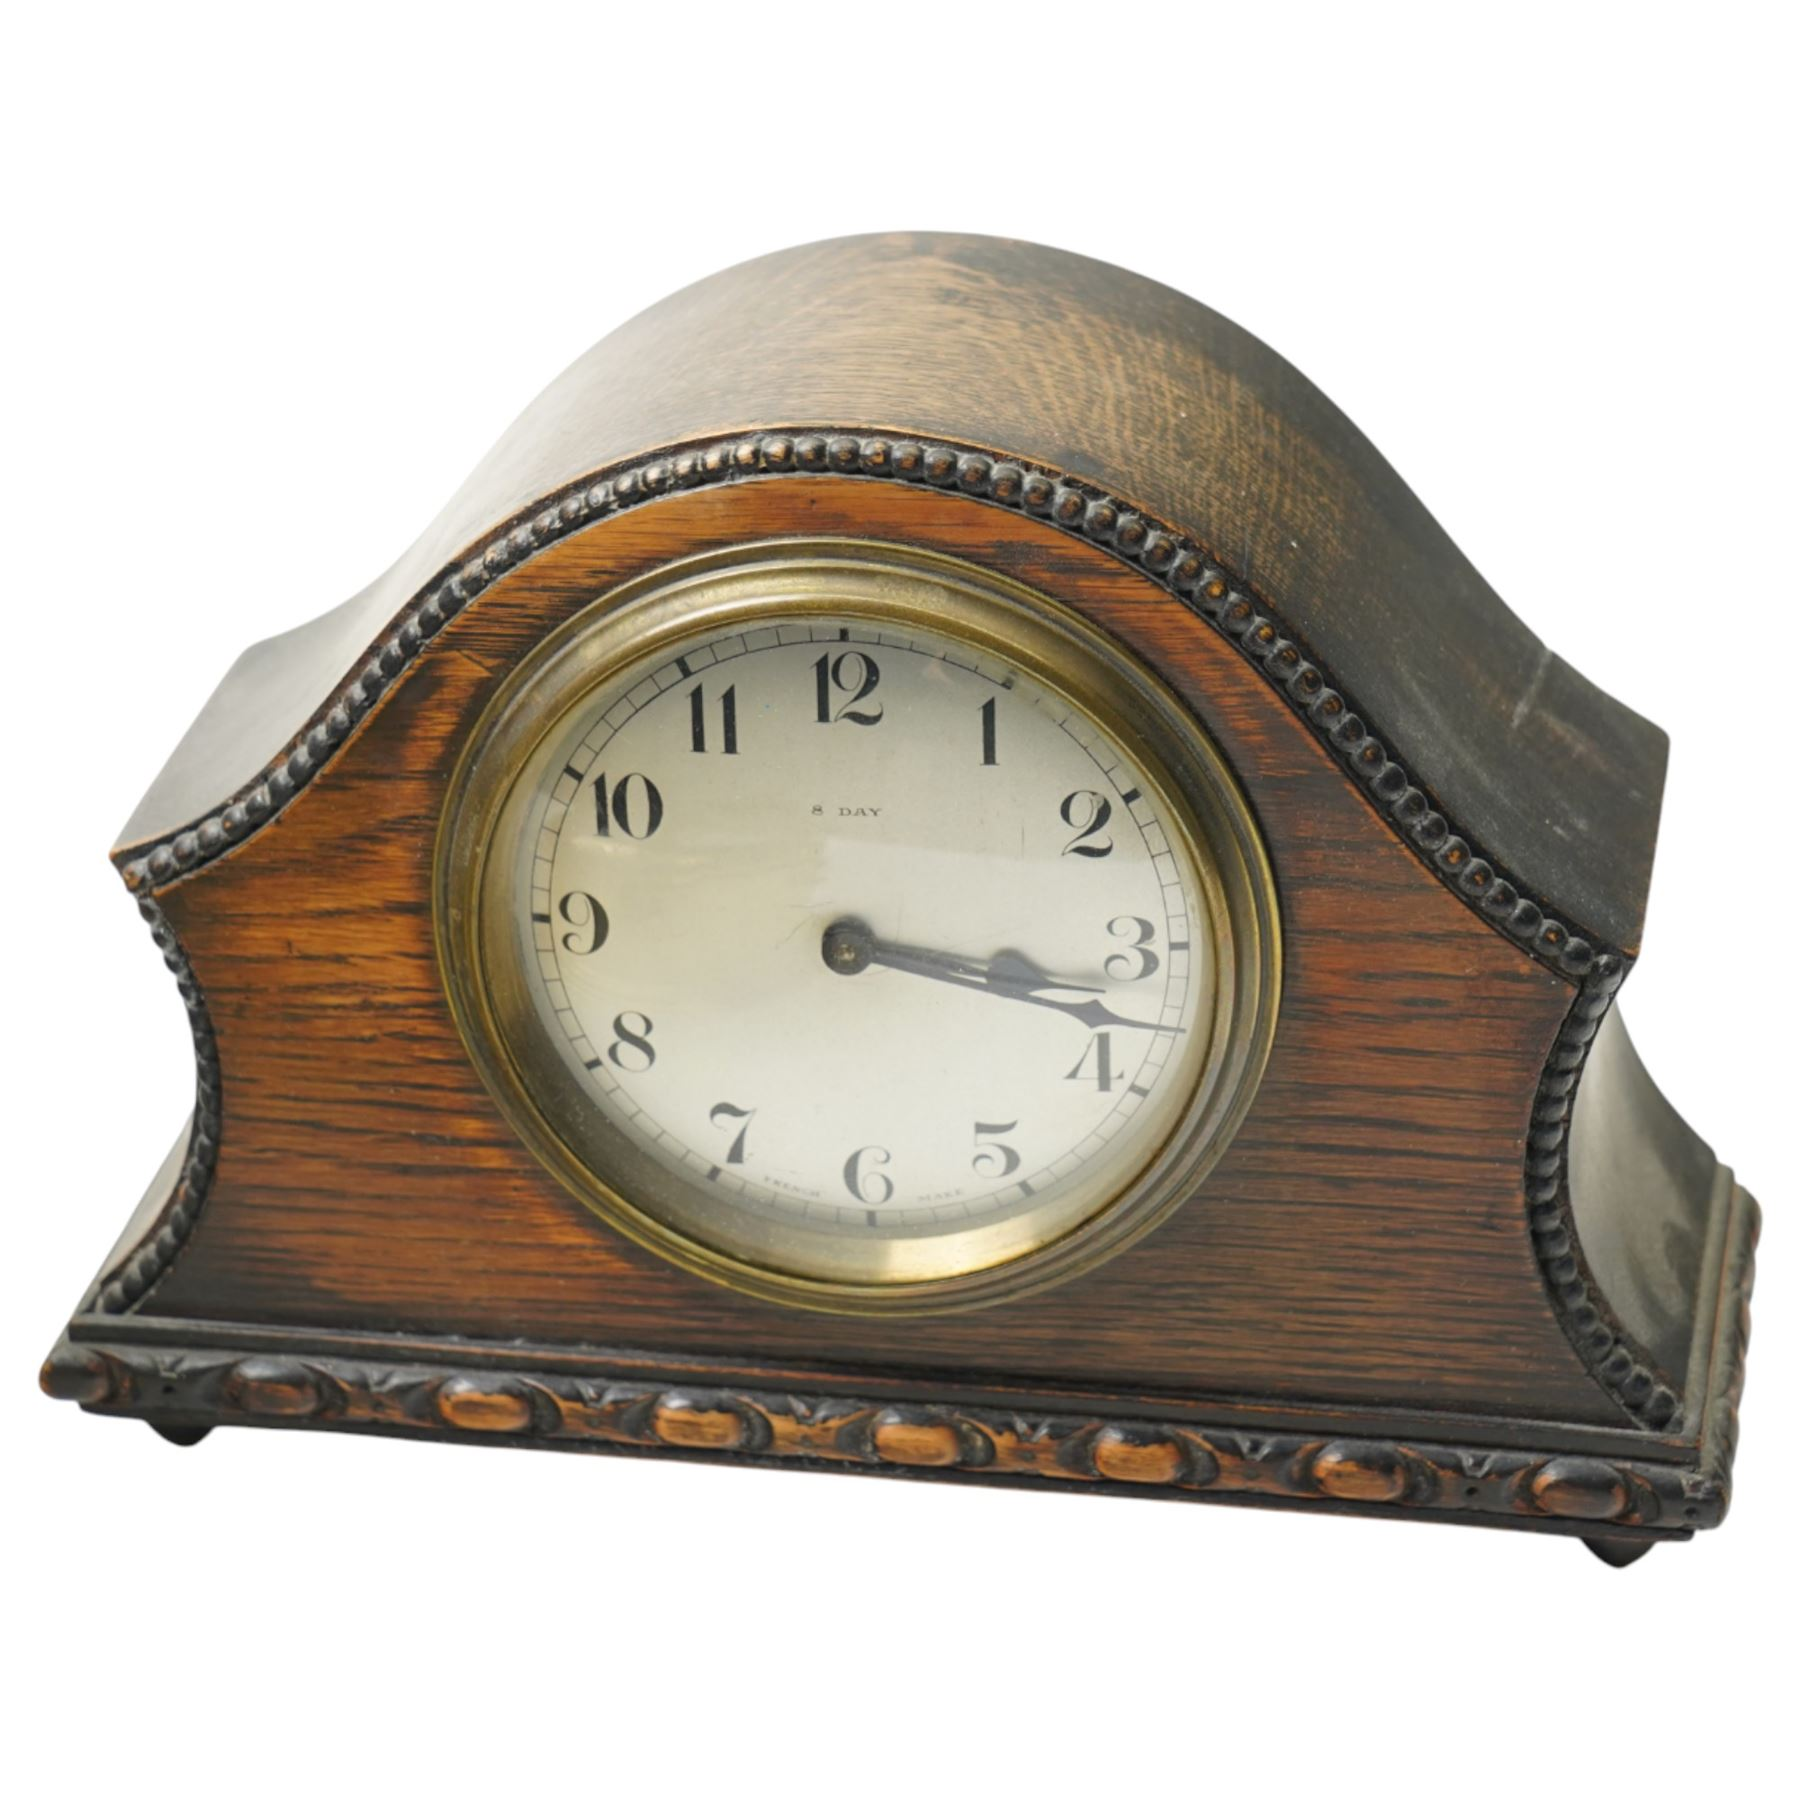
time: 3:17
